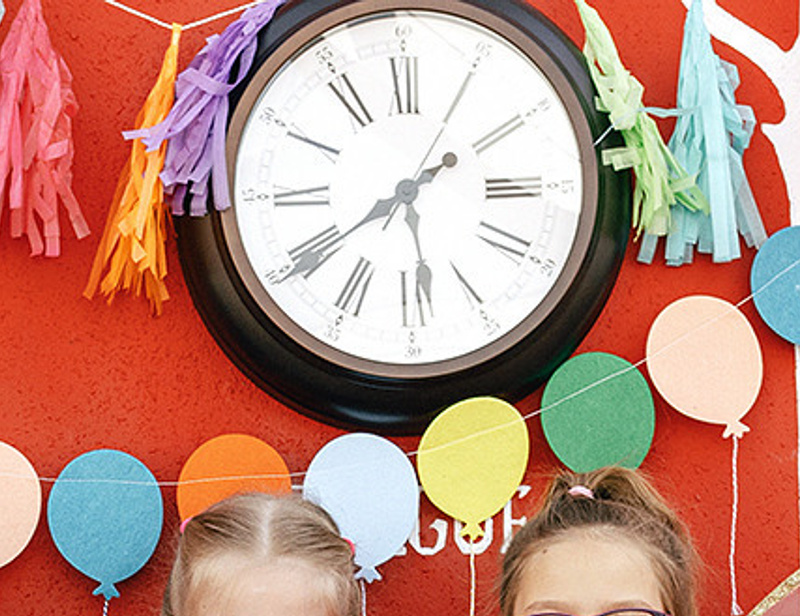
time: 5:39
